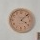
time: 4:07
